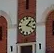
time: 1:18
